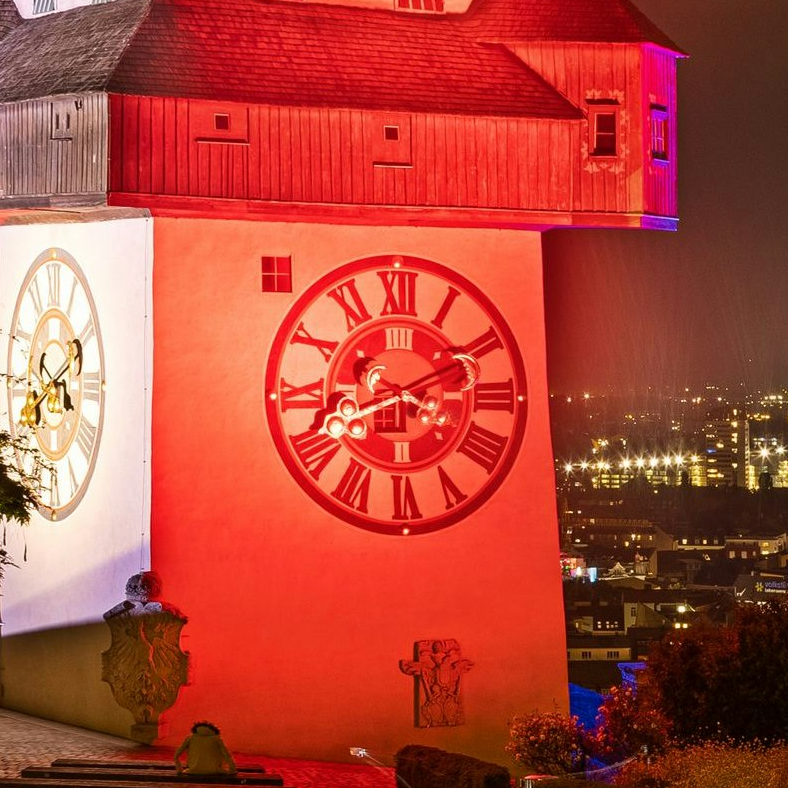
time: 3:41
